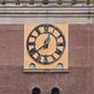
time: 12:38
